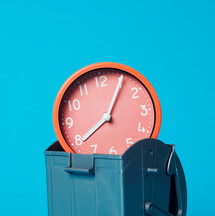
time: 8:05
